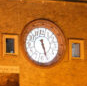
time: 5:26
